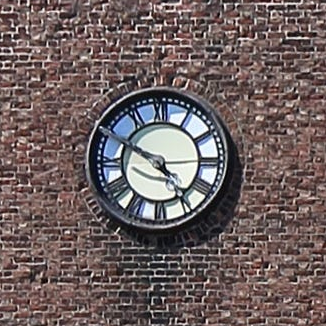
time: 4:49
